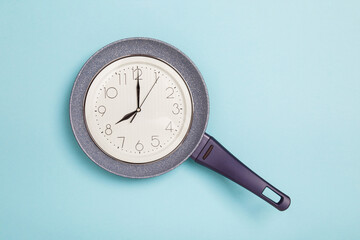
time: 8:00
